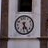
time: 6:24
